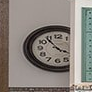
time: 3:53
